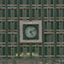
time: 5:11
